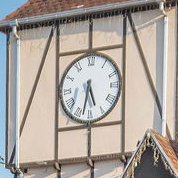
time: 5:32
